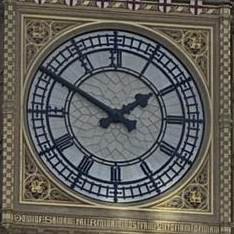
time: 1:50
